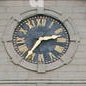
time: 2:35
